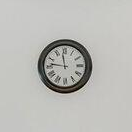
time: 11:46
